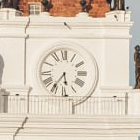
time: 5:36
